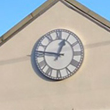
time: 12:46
